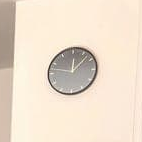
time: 12:07
